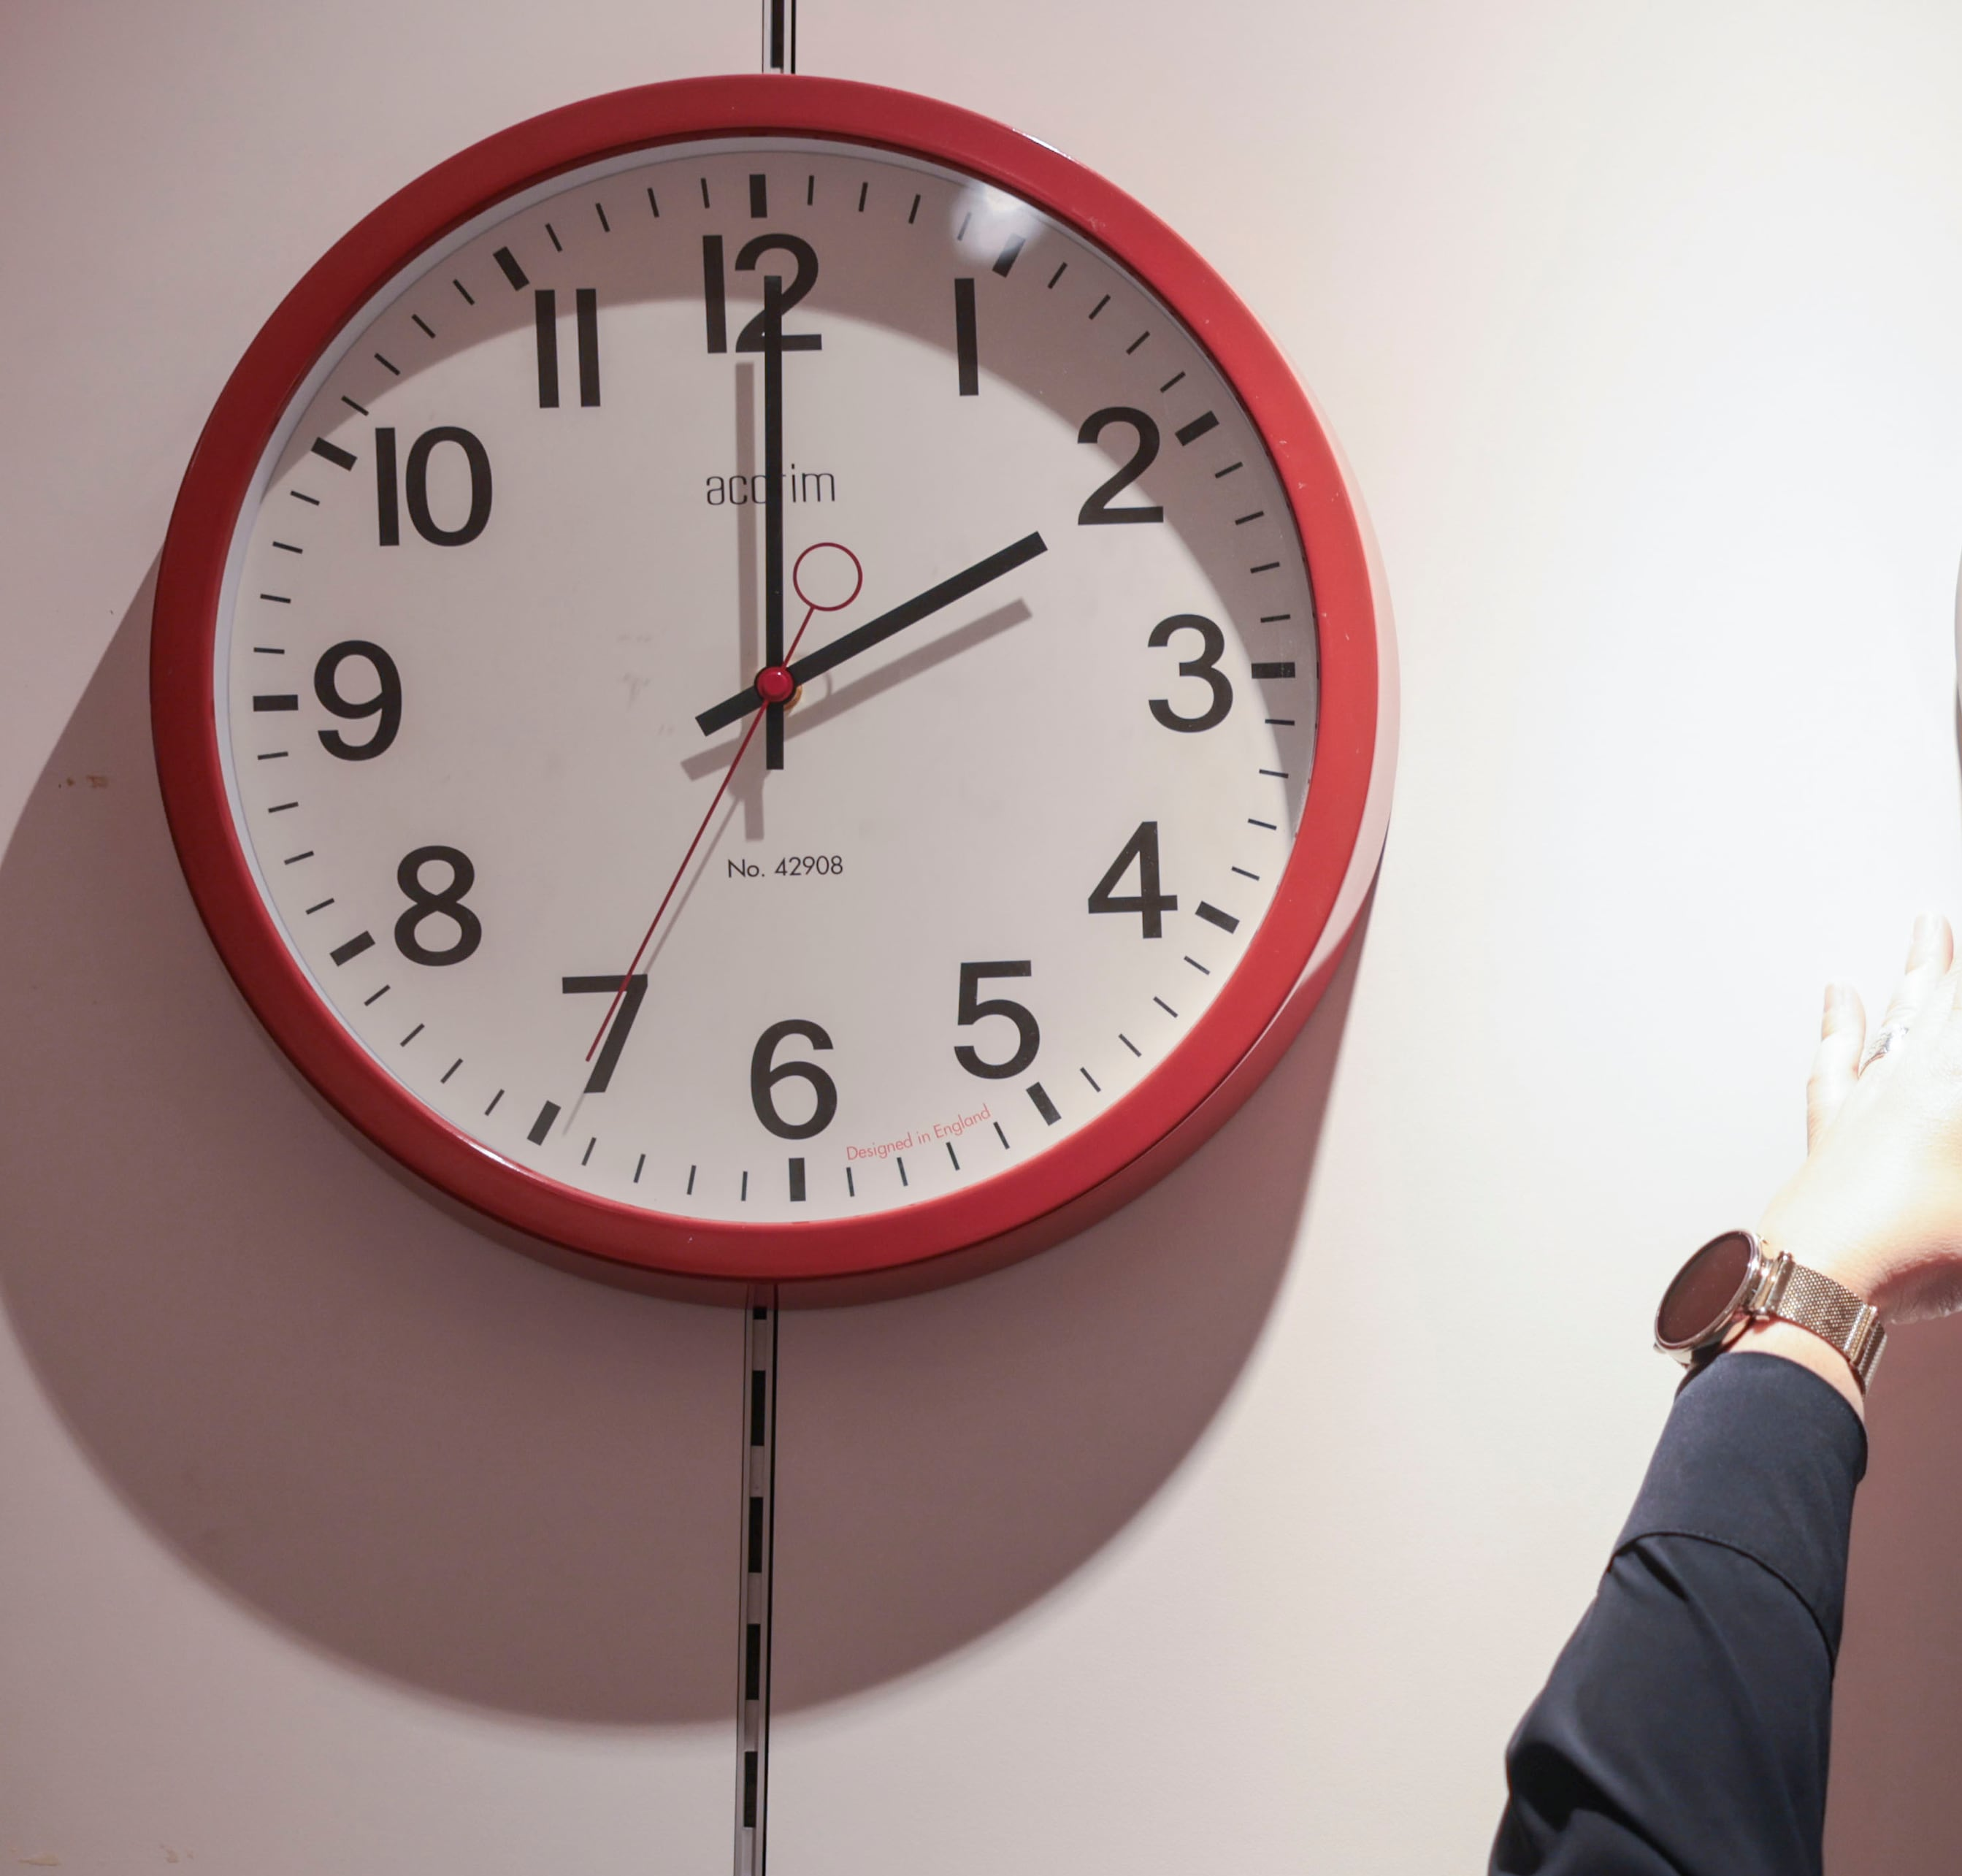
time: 2:00
